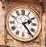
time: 2:23
